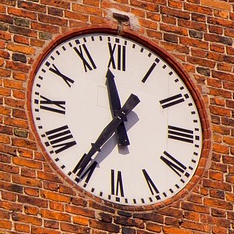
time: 11:35
